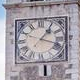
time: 1:18
